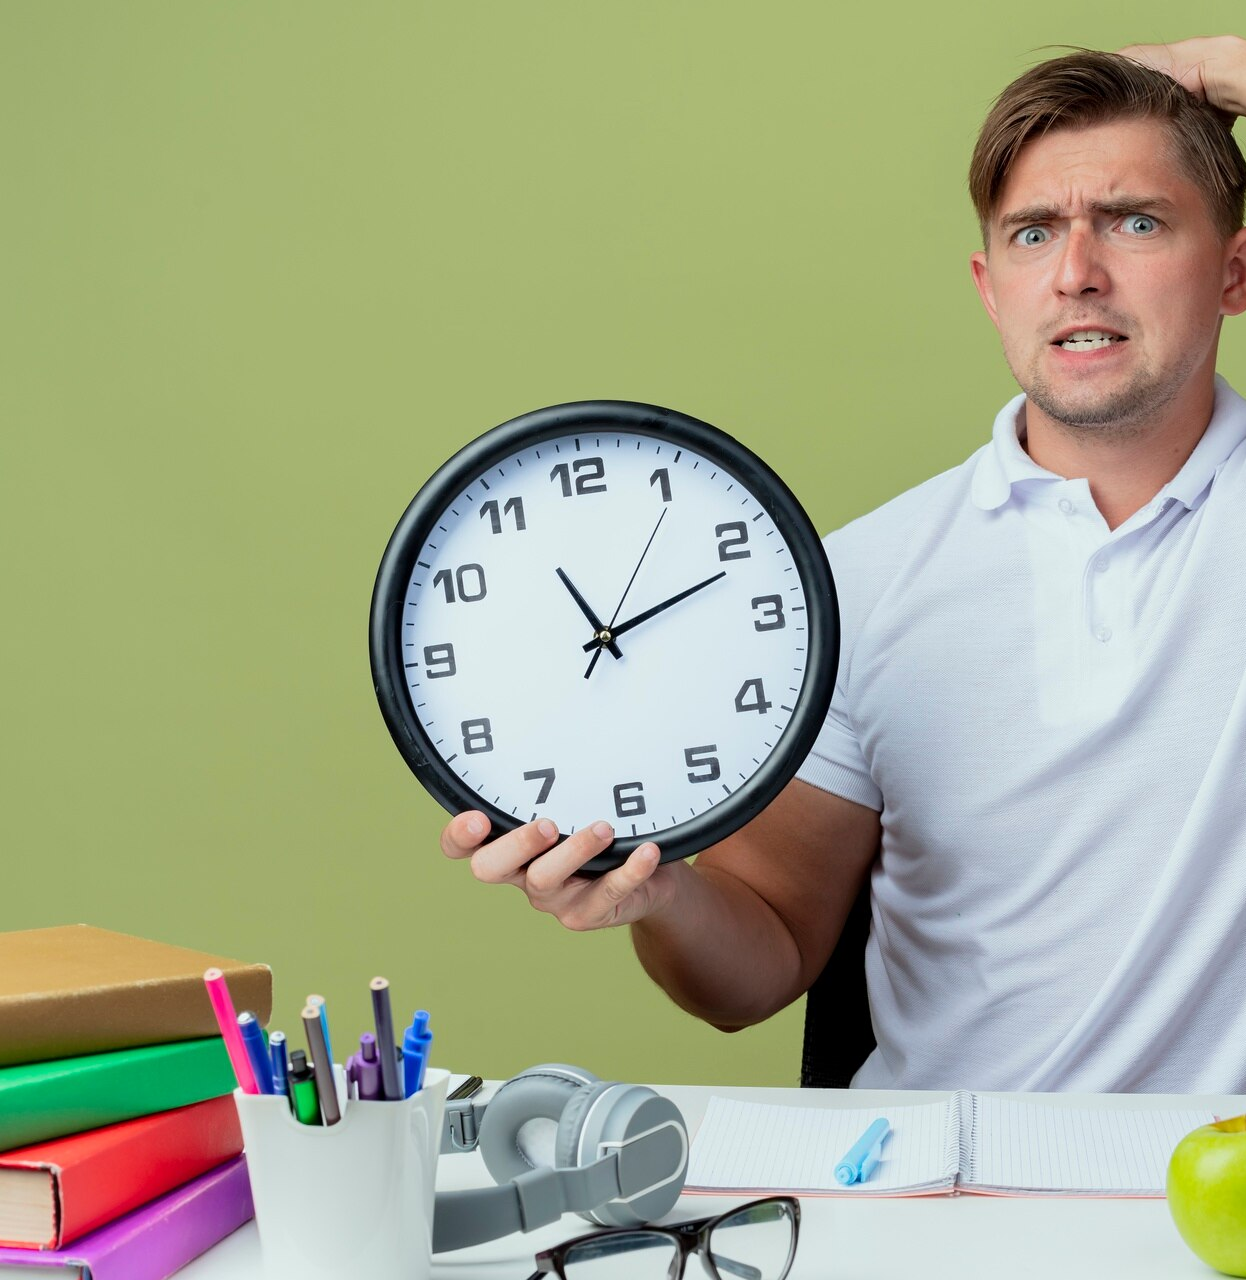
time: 11:11
